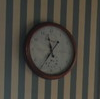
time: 11:35
